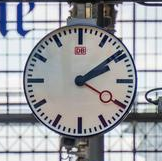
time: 2:09
